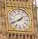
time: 1:41
